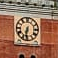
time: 6:31
